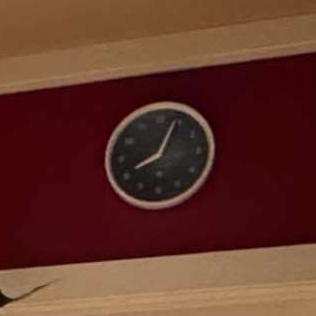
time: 8:04
